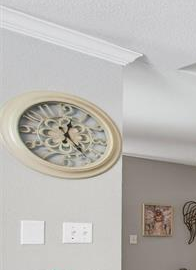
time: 12:23
